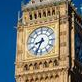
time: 8:34
